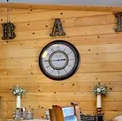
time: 2:44
